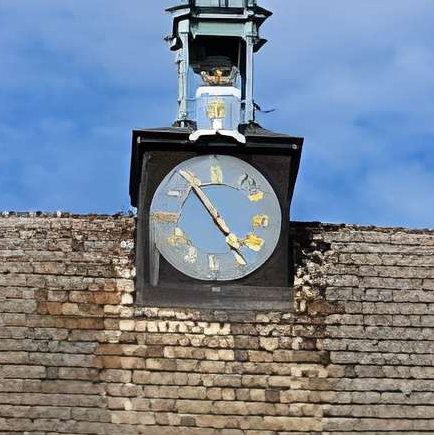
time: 4:54
